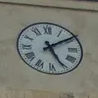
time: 5:09
